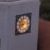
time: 8:38
